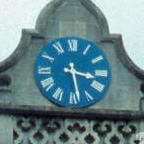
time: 3:28
